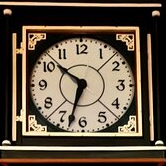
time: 10:33
